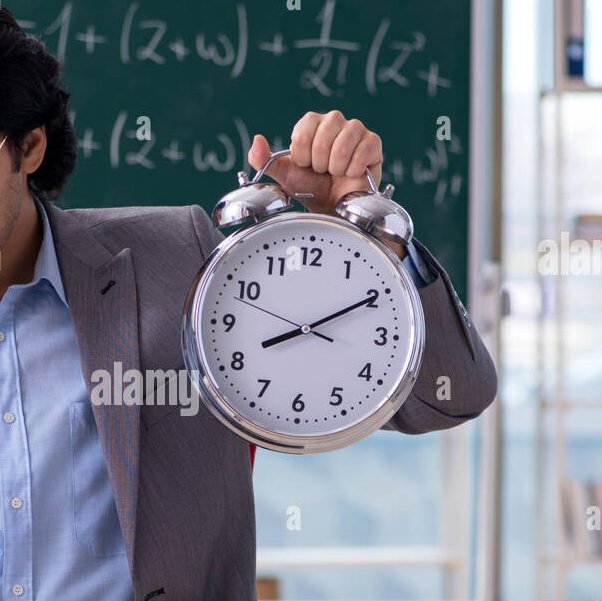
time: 8:10
